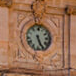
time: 5:26
